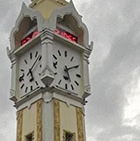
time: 5:09
